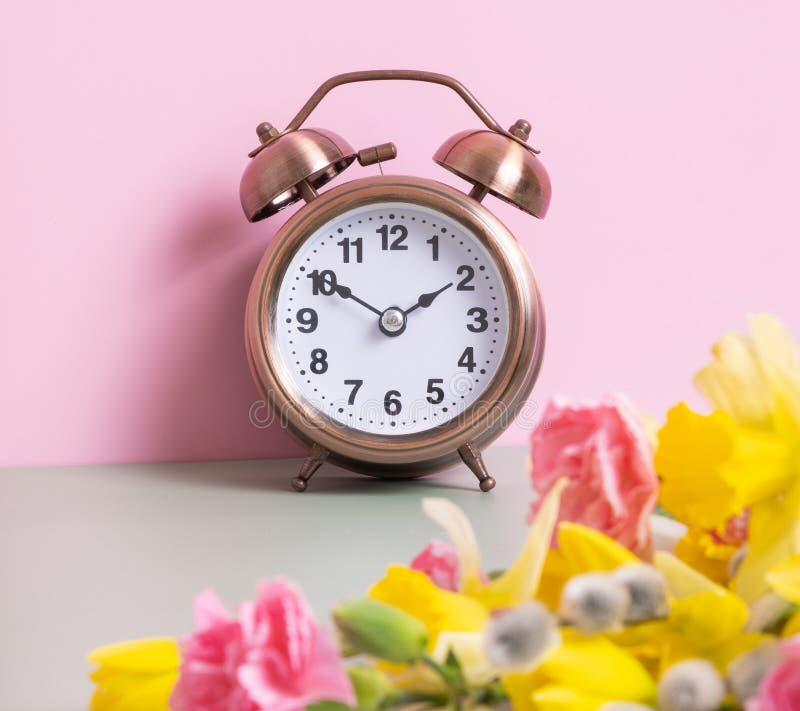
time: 1:50
